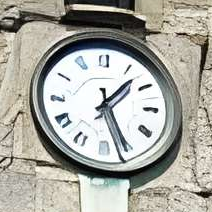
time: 1:25
